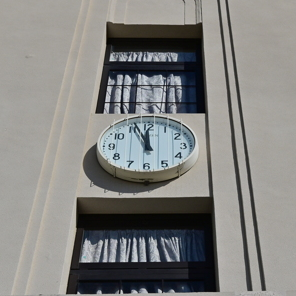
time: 11:56
